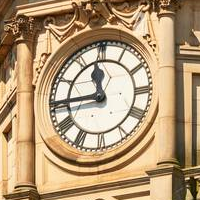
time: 11:44
